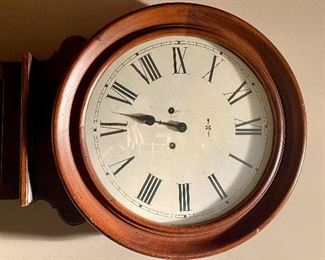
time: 9:47
